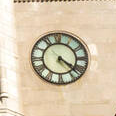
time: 4:22
